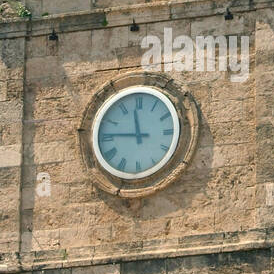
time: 11:45
